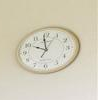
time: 9:58
